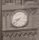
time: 8:38
